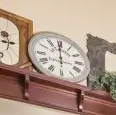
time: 5:59
